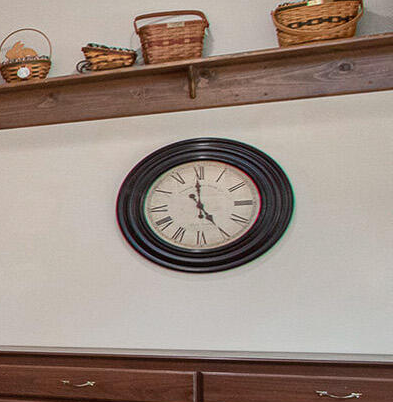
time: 4:59
